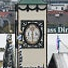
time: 12:28
